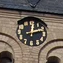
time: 12:12
